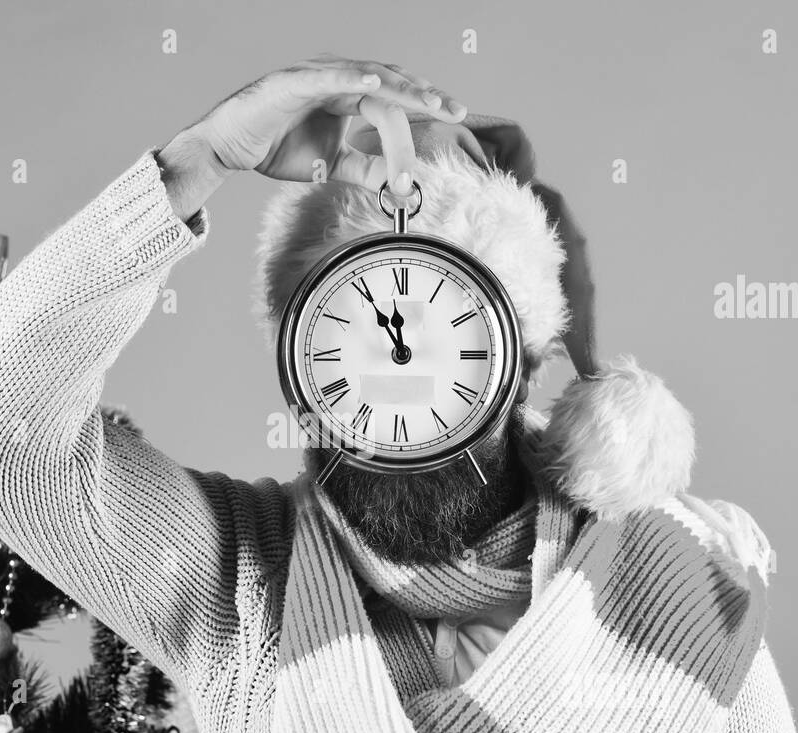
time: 11:54
